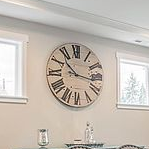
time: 10:16
